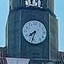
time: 7:32
